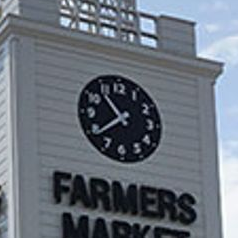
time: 10:39
